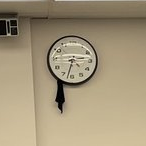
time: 2:32
